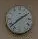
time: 1:37
